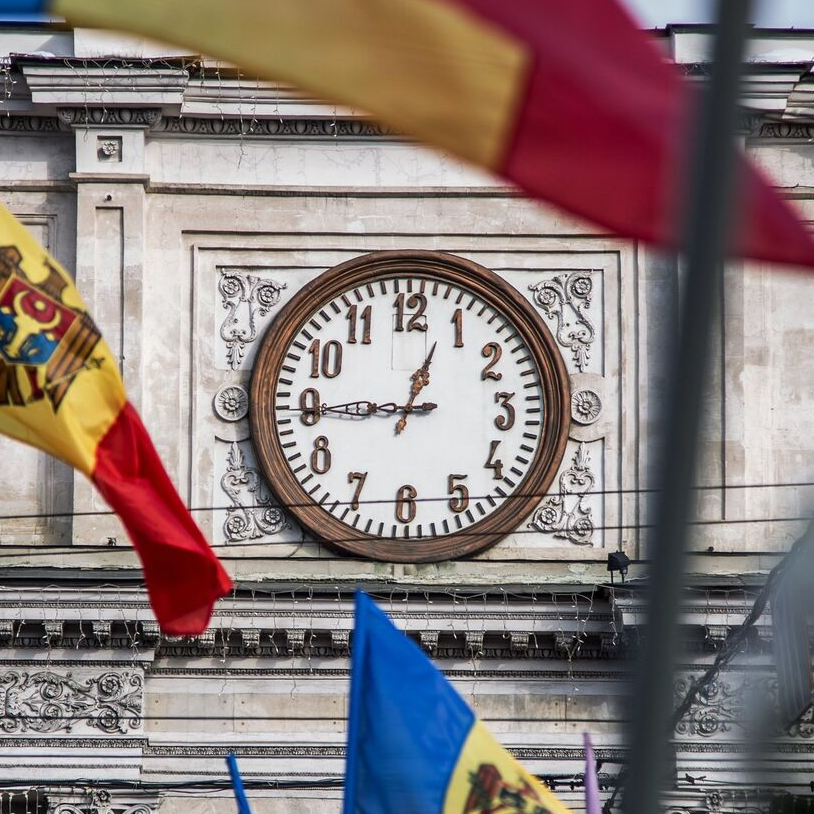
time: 12:44
